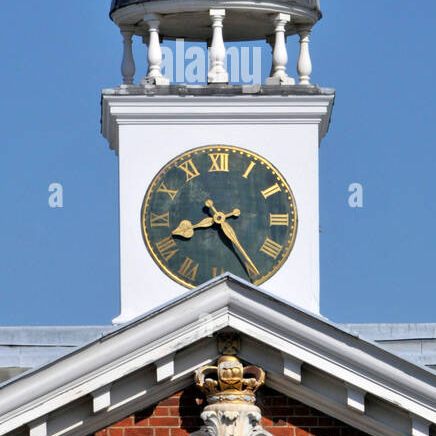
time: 8:24
